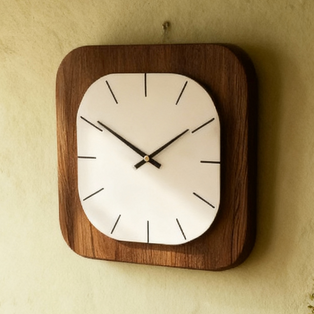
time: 1:50
